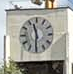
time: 11:30
